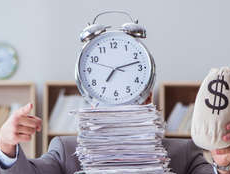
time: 7:12
